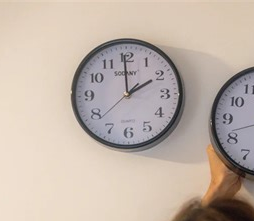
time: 1:59
